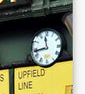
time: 11:43
